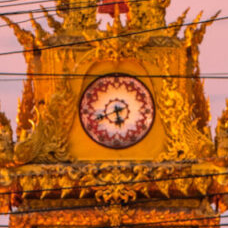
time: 5:41
